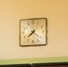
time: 7:21
